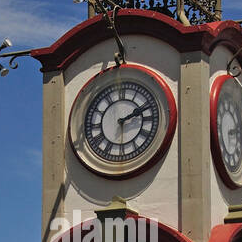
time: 2:11
